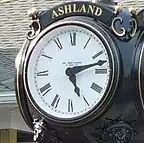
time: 5:12
